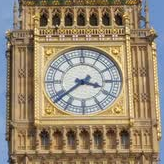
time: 3:38
